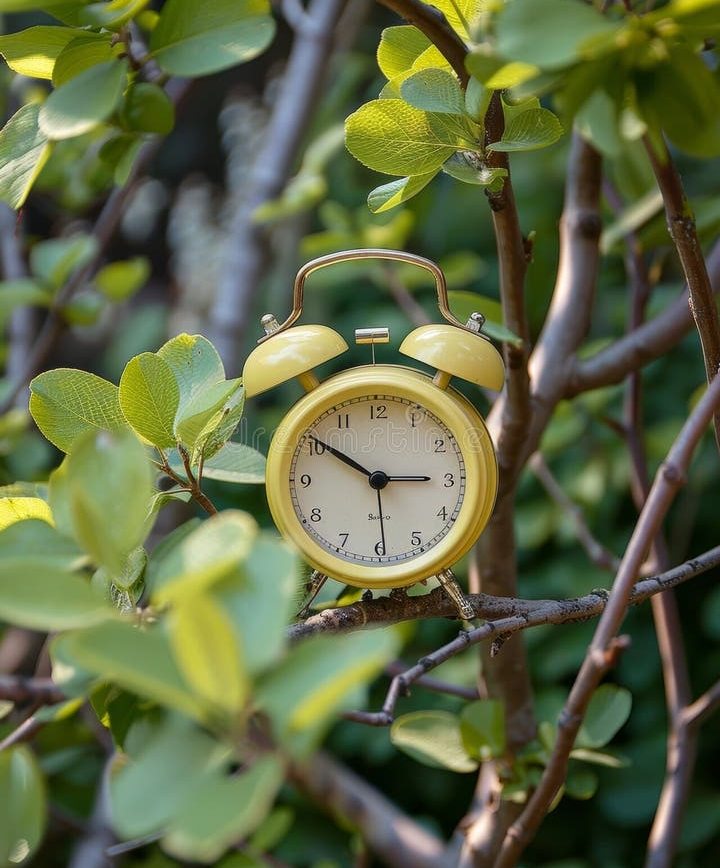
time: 10:15
